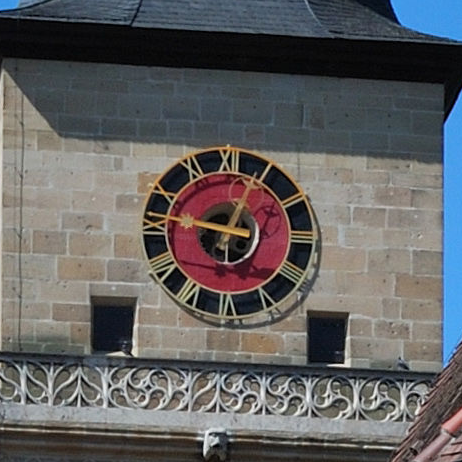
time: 12:47
